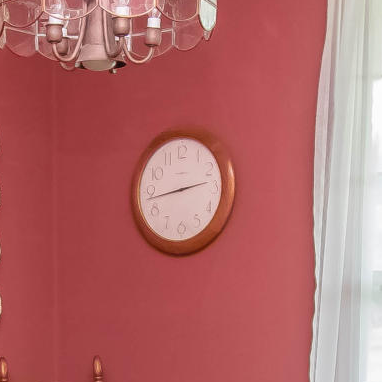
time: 2:43
